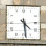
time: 4:28
